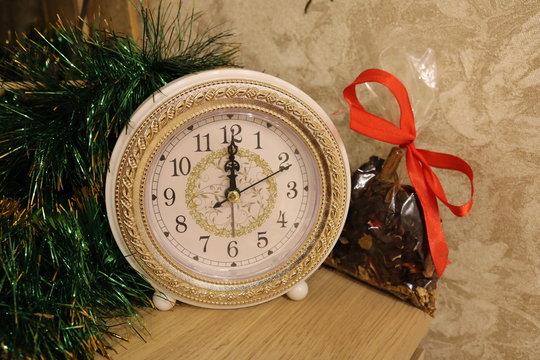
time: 12:00
